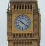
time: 10:21
